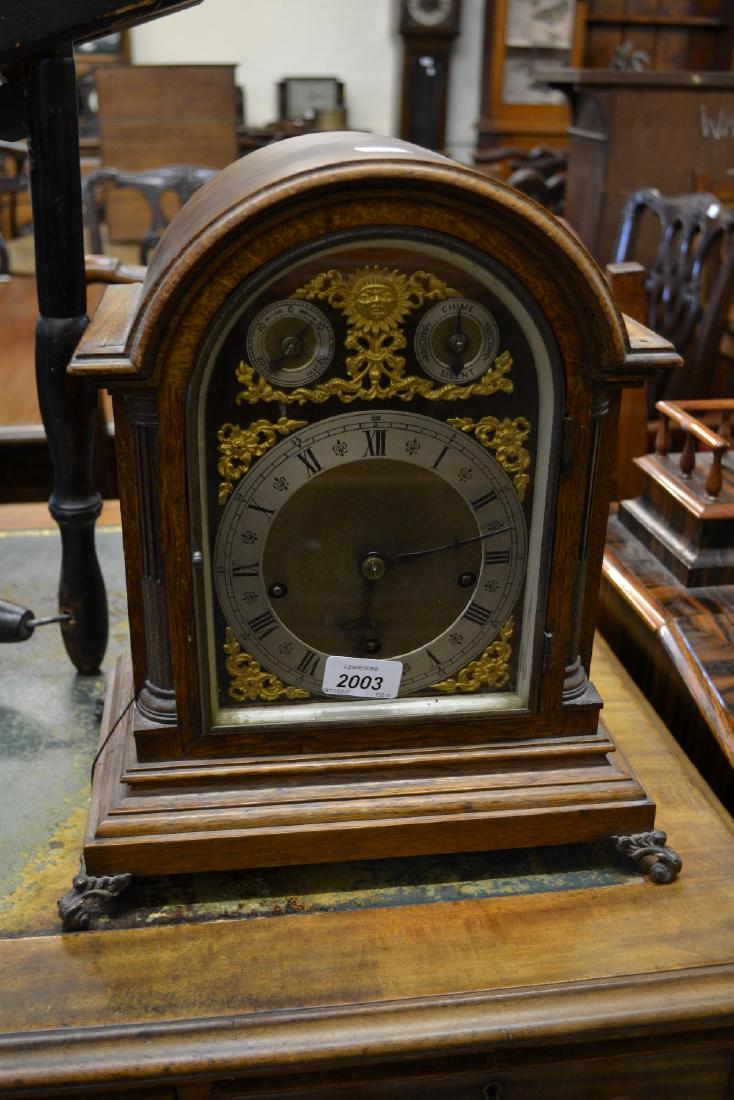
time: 6:15
